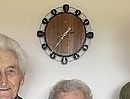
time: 1:36
